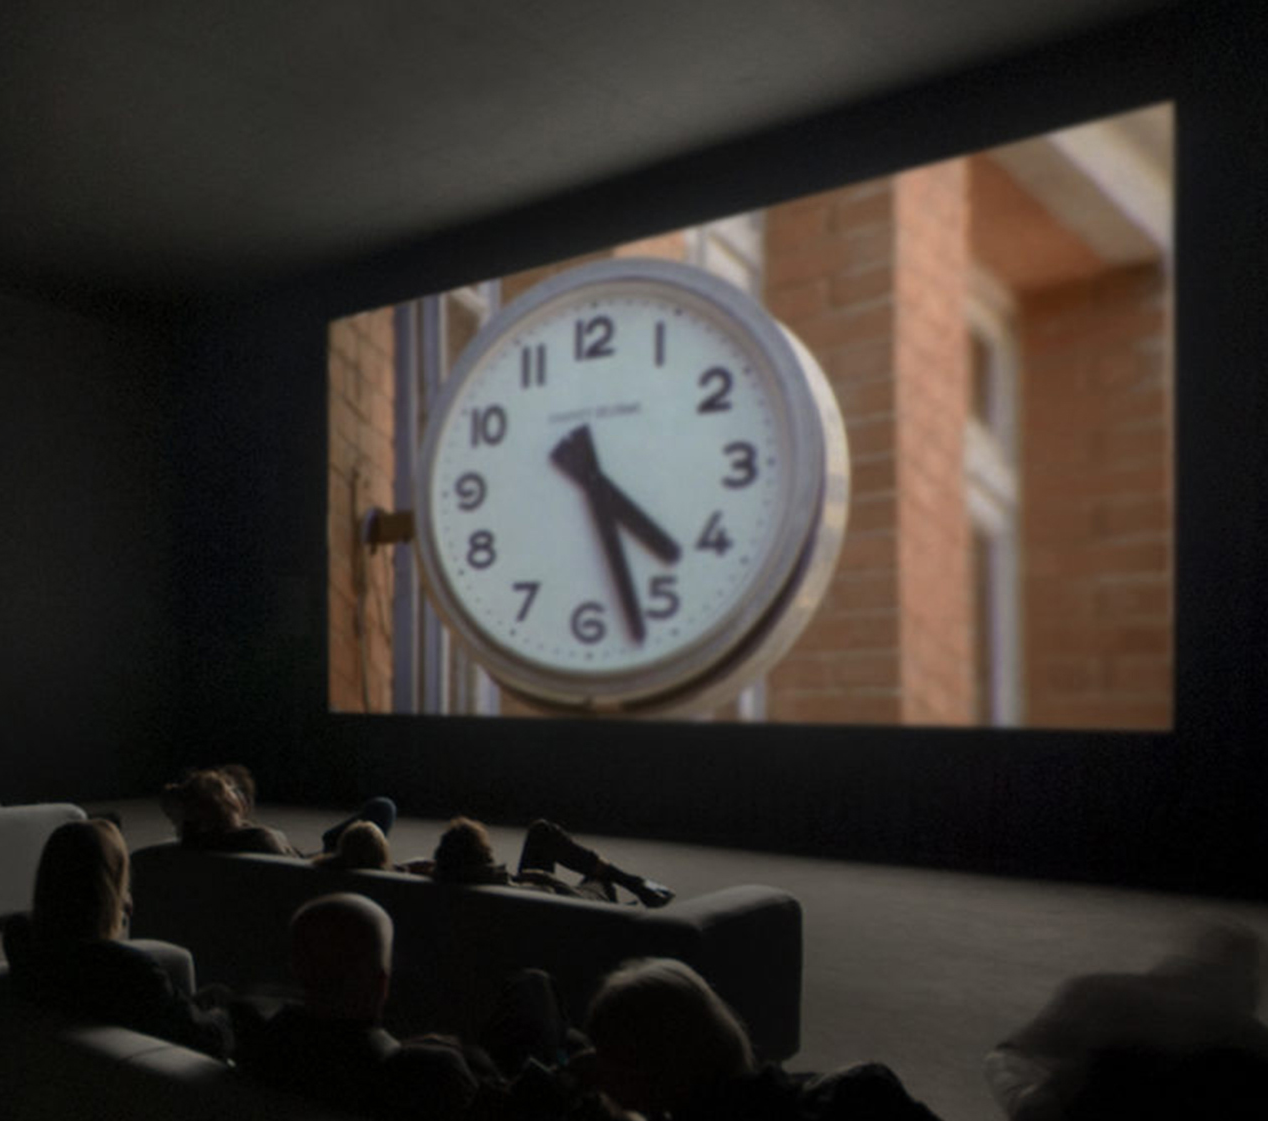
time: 4:27
